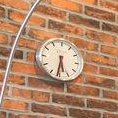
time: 5:31
